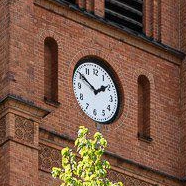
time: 1:50
